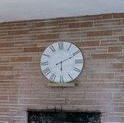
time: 6:10
